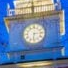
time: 6:14
